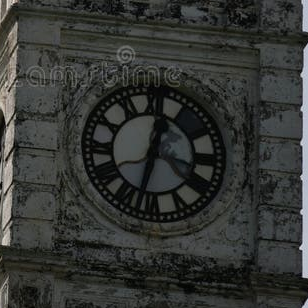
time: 12:32
